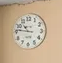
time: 10:46
